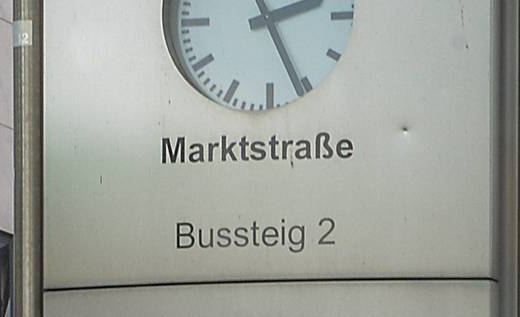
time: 2:26
